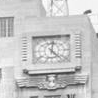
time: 12:22
